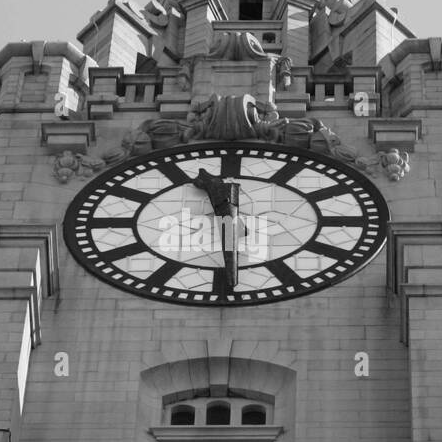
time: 11:29
